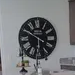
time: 5:49
